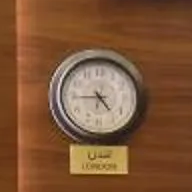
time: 4:44
